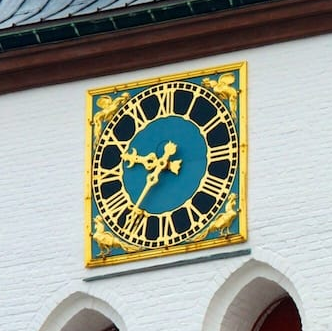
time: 9:36
